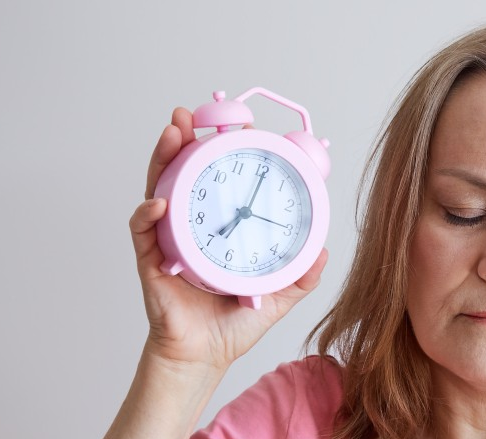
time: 7:01
